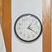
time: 1:20
